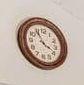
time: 3:54
